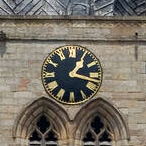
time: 1:17
